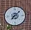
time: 7:07
